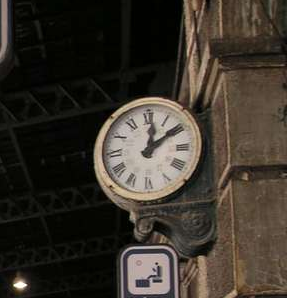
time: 12:09
